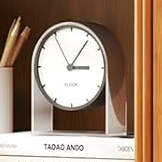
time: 3:05
